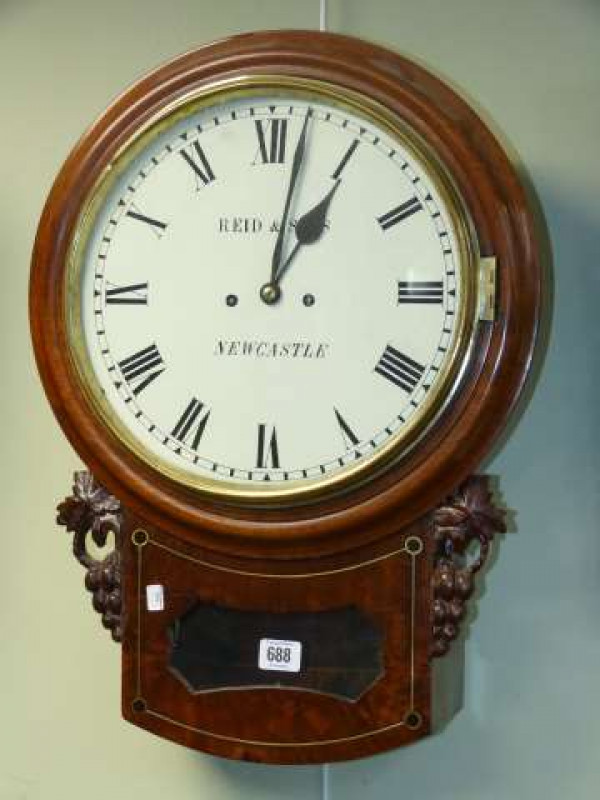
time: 1:02
